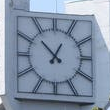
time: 12:52
